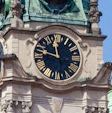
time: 11:47
